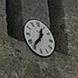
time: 12:36
